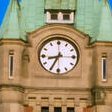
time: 8:34
